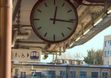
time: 12:16
